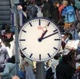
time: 1:11
